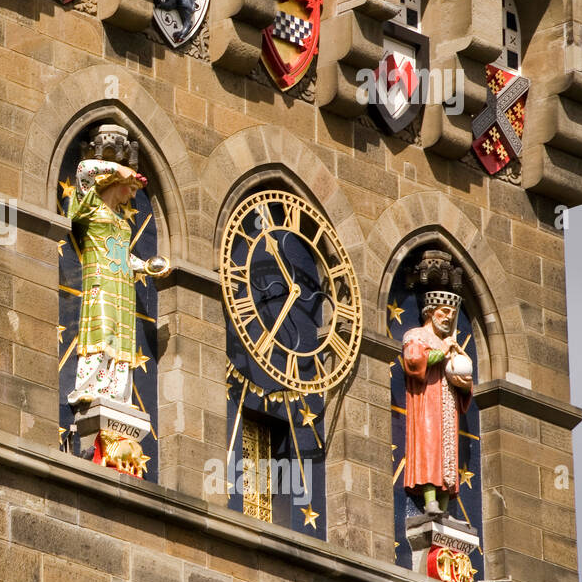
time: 10:36
